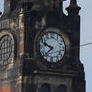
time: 9:38
